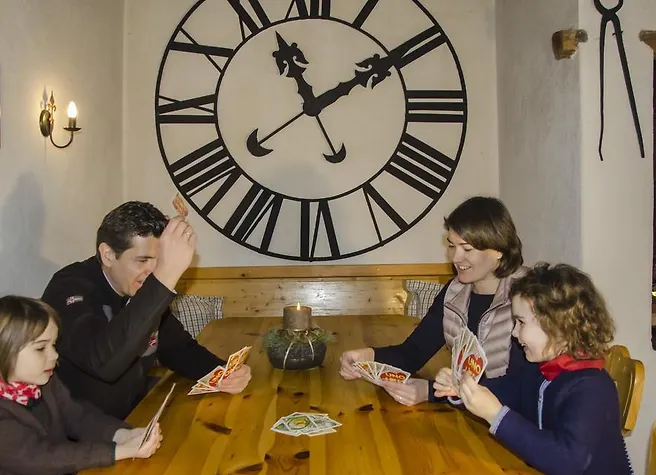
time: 11:09
